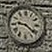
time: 9:21
